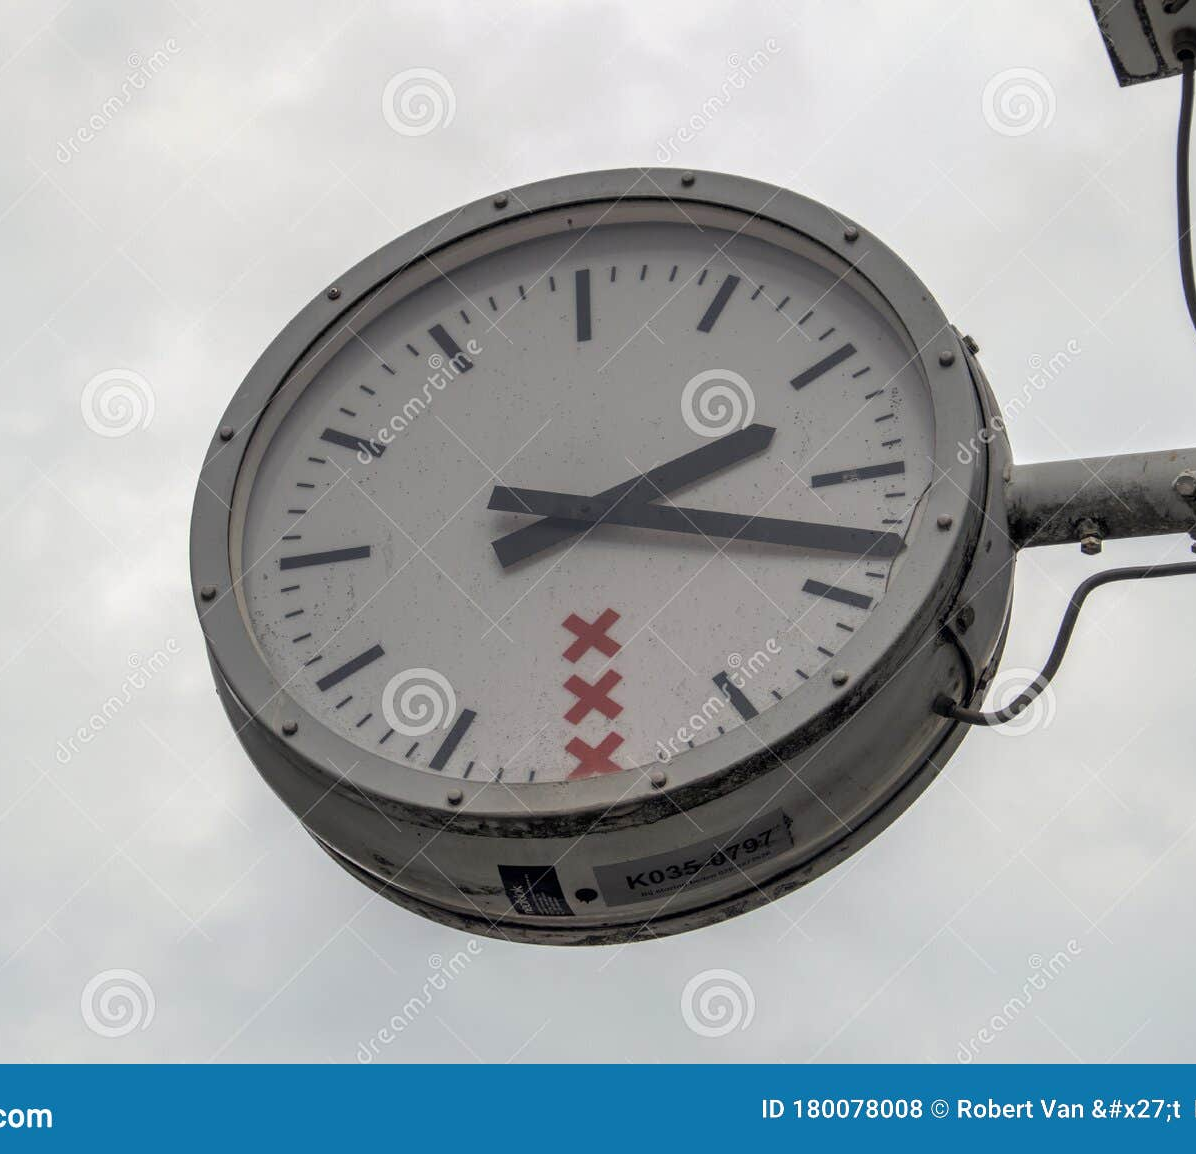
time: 2:18
